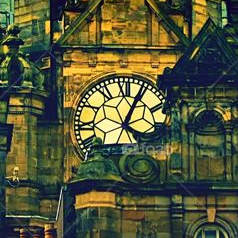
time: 1:04
